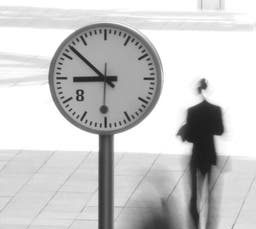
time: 8:52
